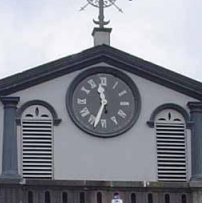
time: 11:33
